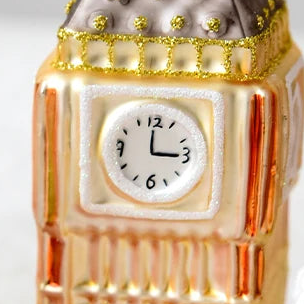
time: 2:59
